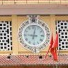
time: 9:01
